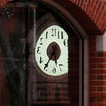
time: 5:36
